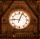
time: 9:03
